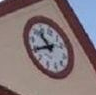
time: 10:39
